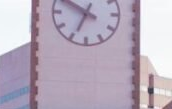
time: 6:50
